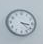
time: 3:21
